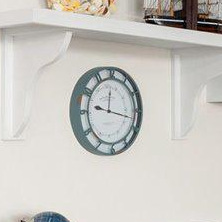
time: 9:17
